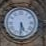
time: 5:31
